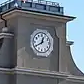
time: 12:40
